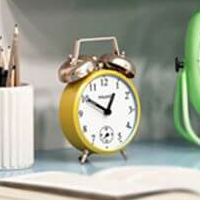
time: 12:50
